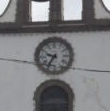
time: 9:36
